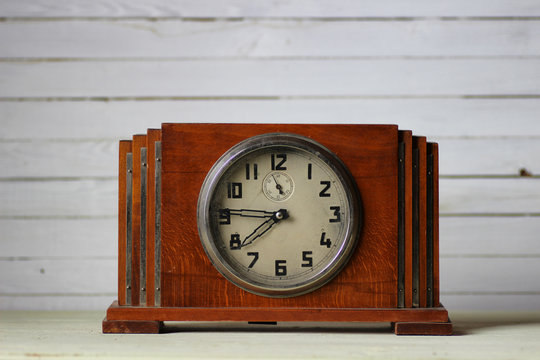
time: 7:45
